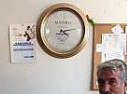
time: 4:13
